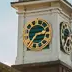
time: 2:36
